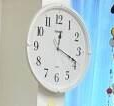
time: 12:18
